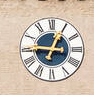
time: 12:46
